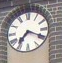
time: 7:19
